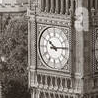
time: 10:14
